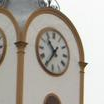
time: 10:35
